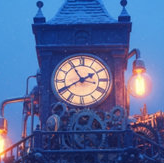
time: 1:55
